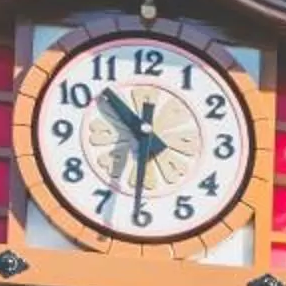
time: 10:30
